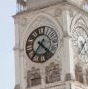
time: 4:35
